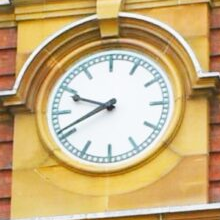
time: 9:41
